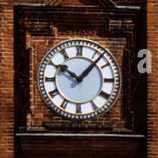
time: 10:07
